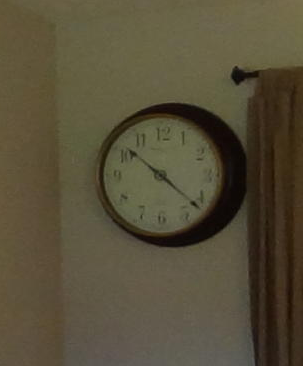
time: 10:21
